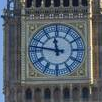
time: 11:46
